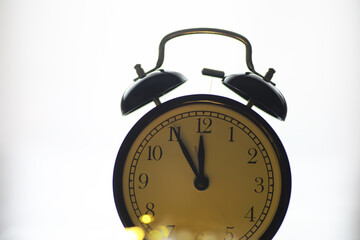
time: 11:55
